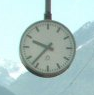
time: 9:36
